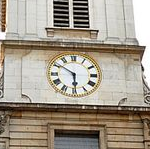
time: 5:50
